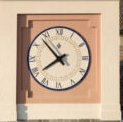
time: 7:53
